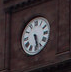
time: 5:27
